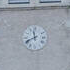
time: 11:40
